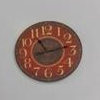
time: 11:13
